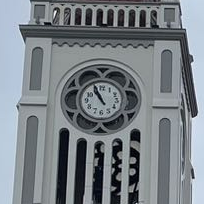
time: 10:56
